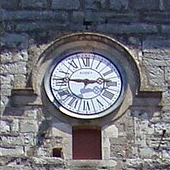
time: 2:46
